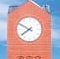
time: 7:49
